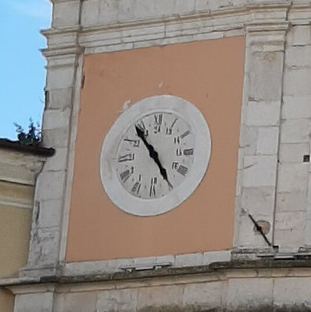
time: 4:53
